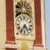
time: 4:35
